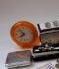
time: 7:53
